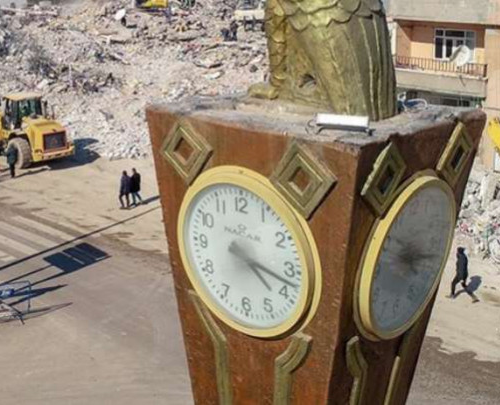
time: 4:17
